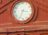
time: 3:34
